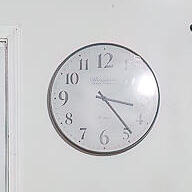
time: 3:23
